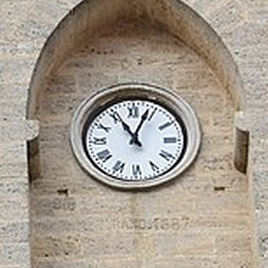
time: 11:03
